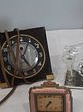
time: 5:04
